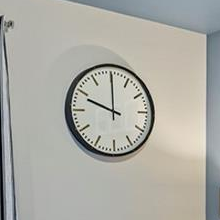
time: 10:00
